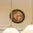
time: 6:13
